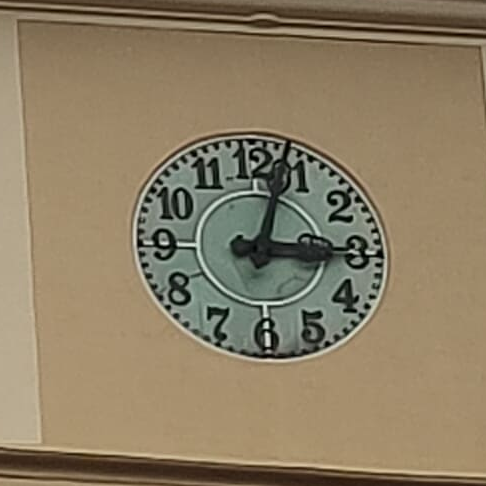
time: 3:03
